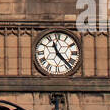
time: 11:22
